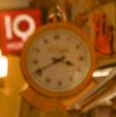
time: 3:40
